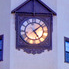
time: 5:08
